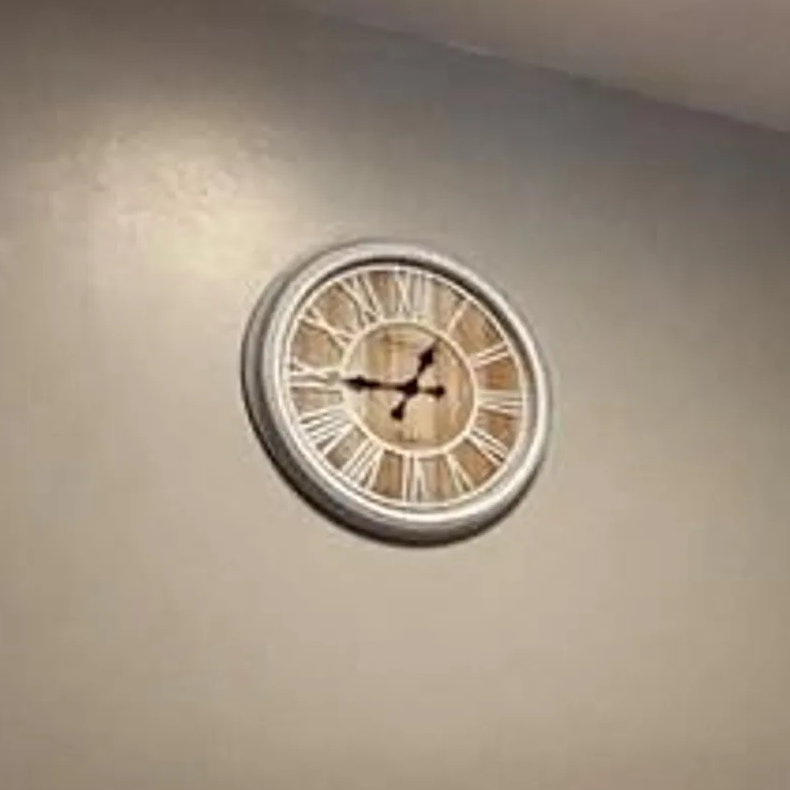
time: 12:45
